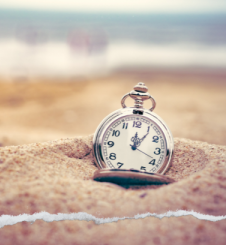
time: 12:06
